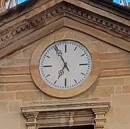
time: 6:55
